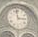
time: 2:58
